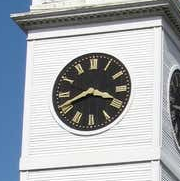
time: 3:41
